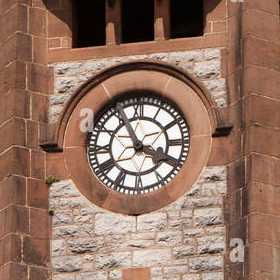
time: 3:55
